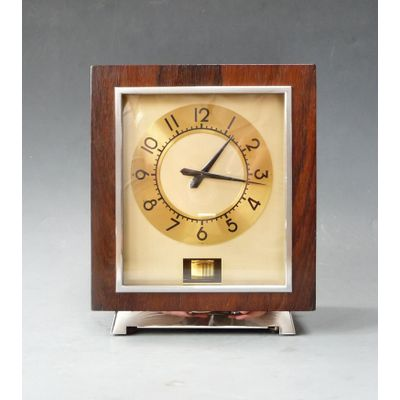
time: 1:16
